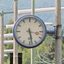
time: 3:28
